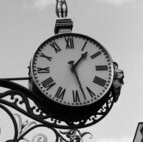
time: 1:27
